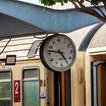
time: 4:46
